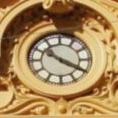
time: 10:19
